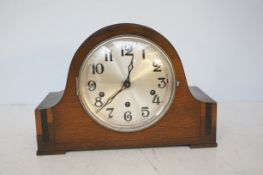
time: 12:37
